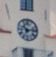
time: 10:13
